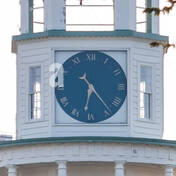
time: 6:23
